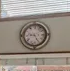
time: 9:25
